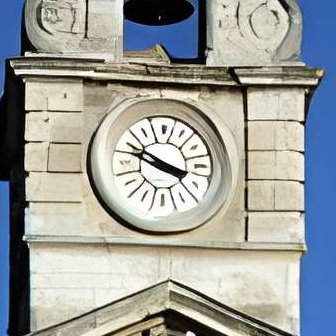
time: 3:48
